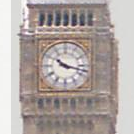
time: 10:17
